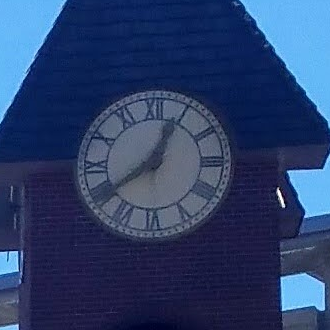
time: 12:39
